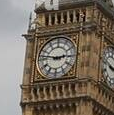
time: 2:47
